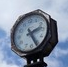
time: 2:25
